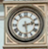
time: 2:28
